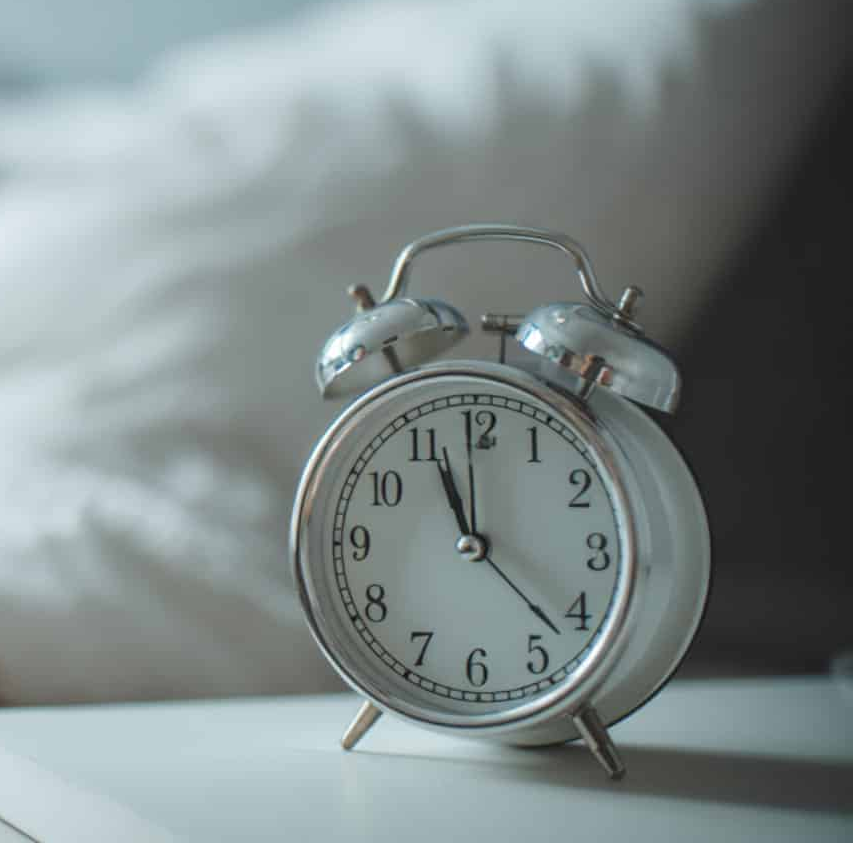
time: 11:21
